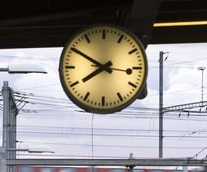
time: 7:50
